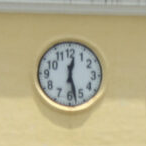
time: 12:27
